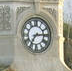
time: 7:14
